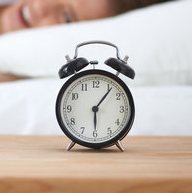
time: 6:06
